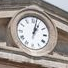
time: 1:02
